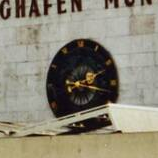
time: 2:18
